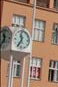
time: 11:35
